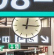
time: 12:16
